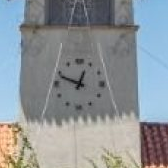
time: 12:48
